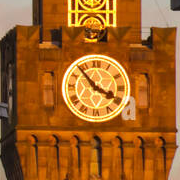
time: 3:53
